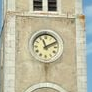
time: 11:10
